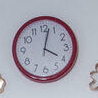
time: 4:02
